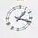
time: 1:18
